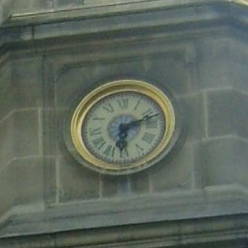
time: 6:11
